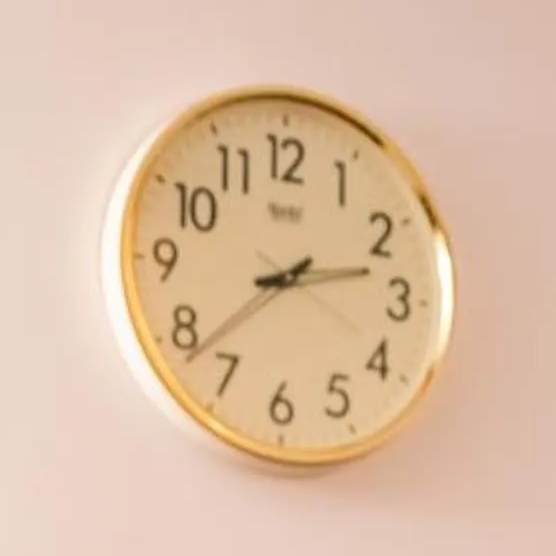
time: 2:38
